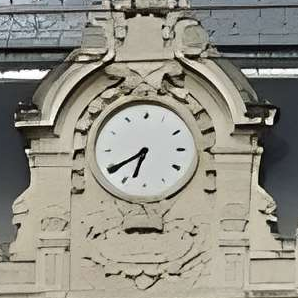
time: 6:39
